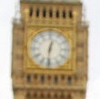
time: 12:31
